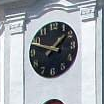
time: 1:47
